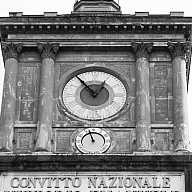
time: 12:53
